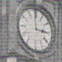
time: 2:59
